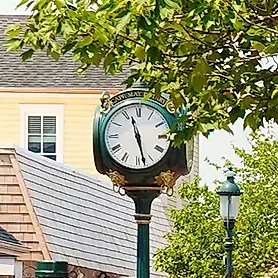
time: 11:28
